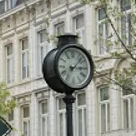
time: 3:07
